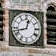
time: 12:42
